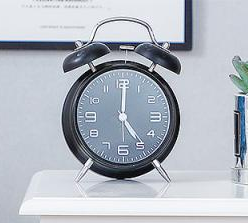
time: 5:00
